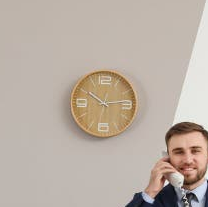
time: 10:13
